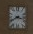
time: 3:40
